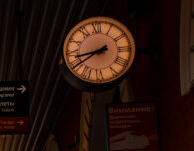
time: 8:40
